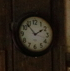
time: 1:53
